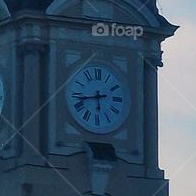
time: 5:43
